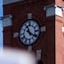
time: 11:20
